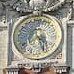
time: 4:26
